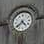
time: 4:38
